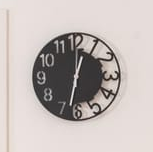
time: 12:32
